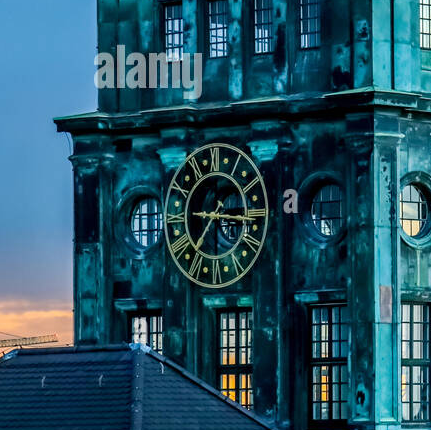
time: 7:15
